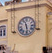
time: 11:28
